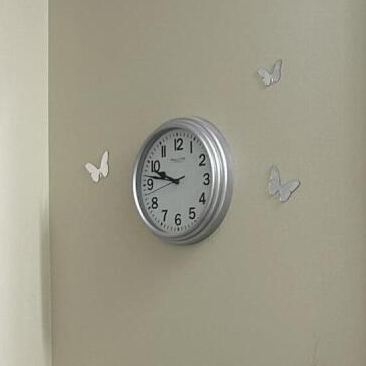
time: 9:47
